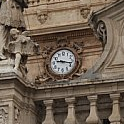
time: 9:17
